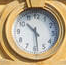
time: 10:28
